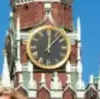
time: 12:07
